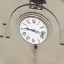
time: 9:17
